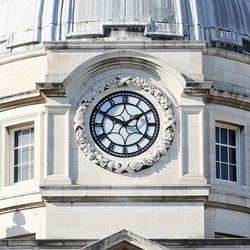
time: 1:49
